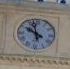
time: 9:57
